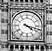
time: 4:17
